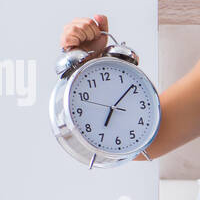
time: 7:08
